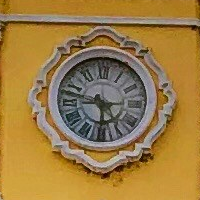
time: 5:47
